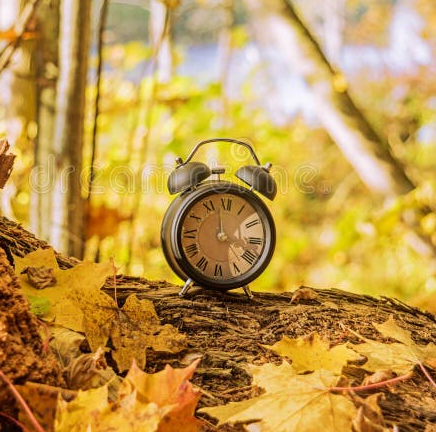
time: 3:58
